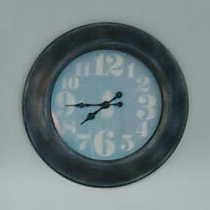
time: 7:44
